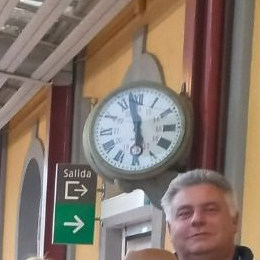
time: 5:57
